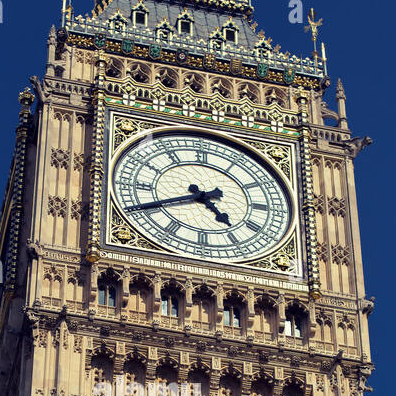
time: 4:40
